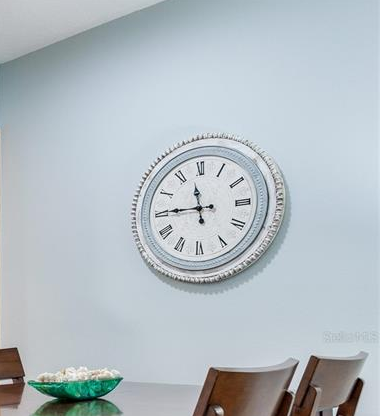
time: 11:45
